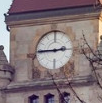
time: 2:45
